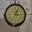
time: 3:04
